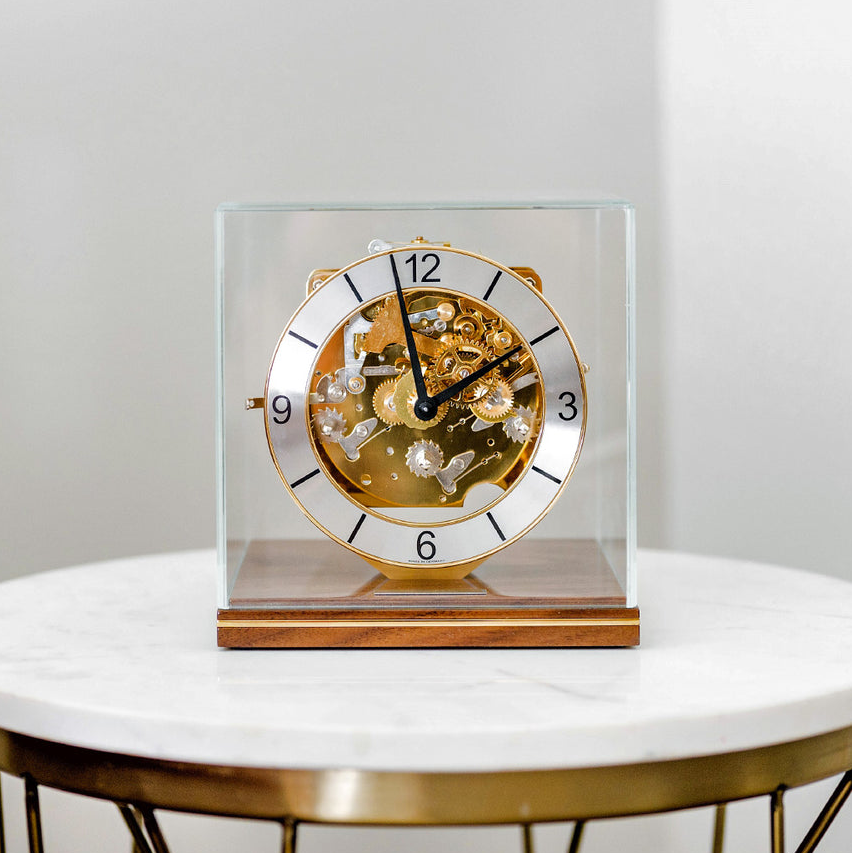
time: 1:58
